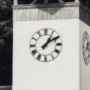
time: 1:09
